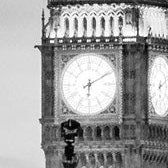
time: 6:10
